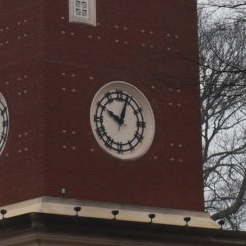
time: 10:03
